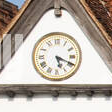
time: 5:19
